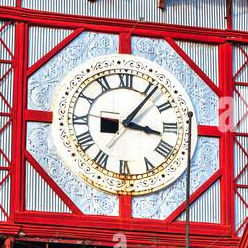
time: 3:06
